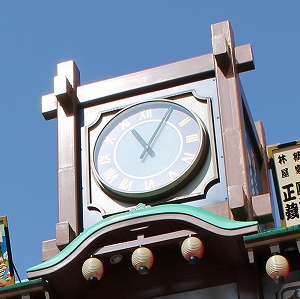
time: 11:05
